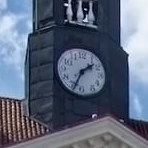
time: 1:33
